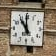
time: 10:59
